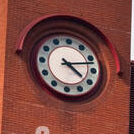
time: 4:12
